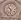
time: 10:32
